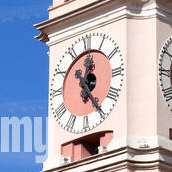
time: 12:24
